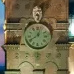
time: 12:39
